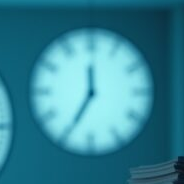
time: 11:34
